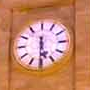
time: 5:30
